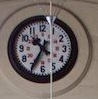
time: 10:34
